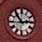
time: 2:53
